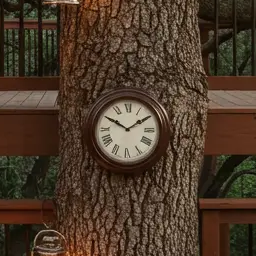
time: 1:50
